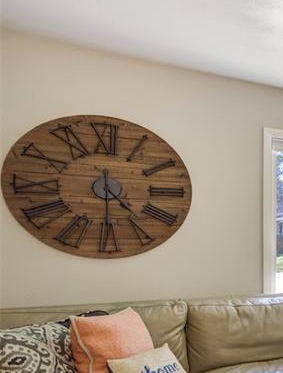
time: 4:30
